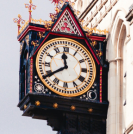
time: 11:39
